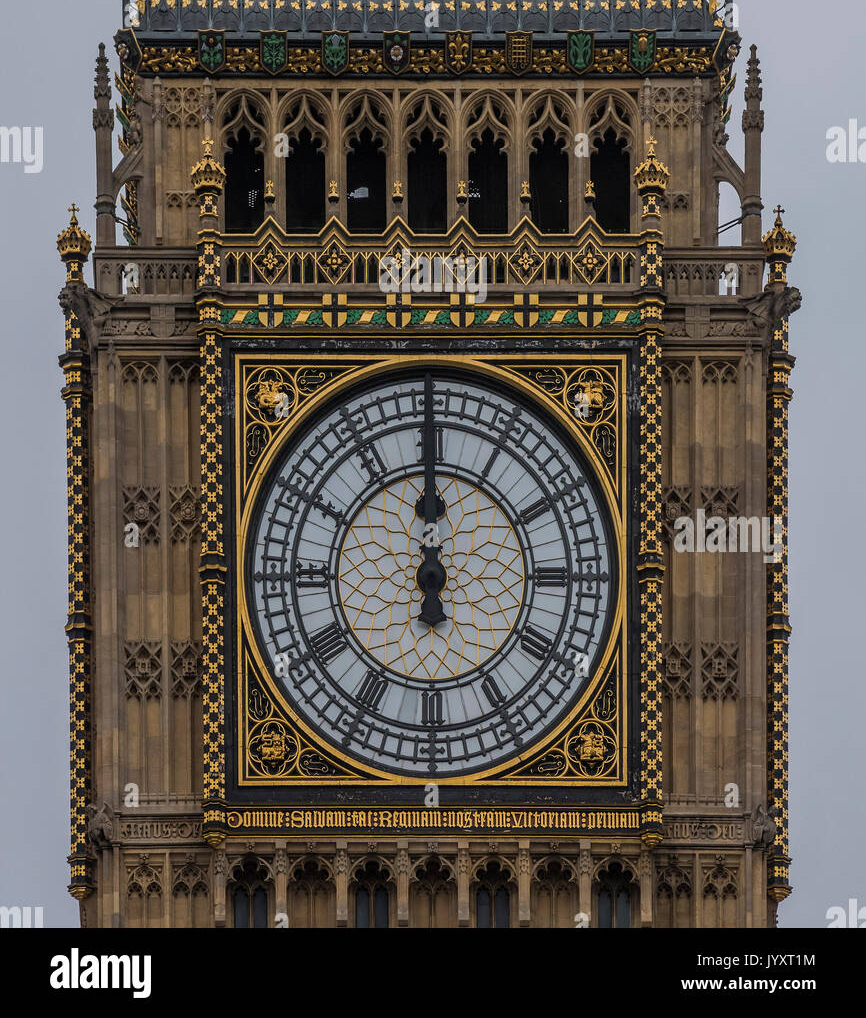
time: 11:59
